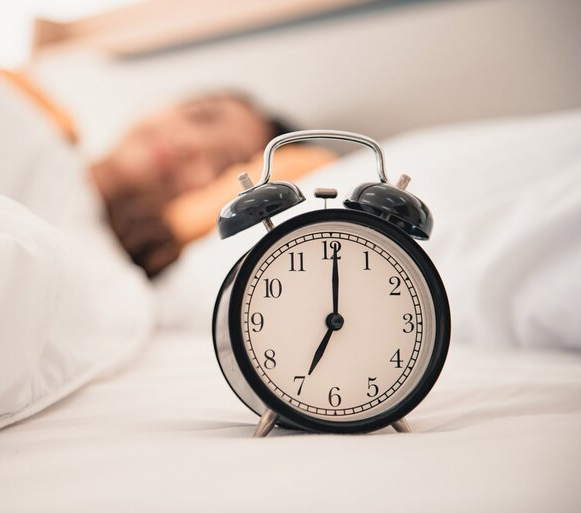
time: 7:00
